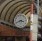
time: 3:41
